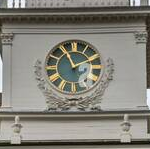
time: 1:56
